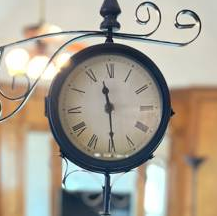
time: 11:29
